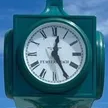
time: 12:25
